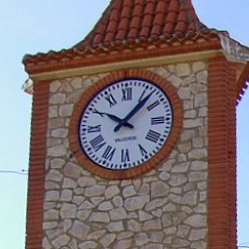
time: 10:07
